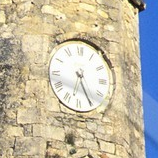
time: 6:25
